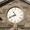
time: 10:41
